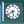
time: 5:40
